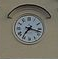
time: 7:17
